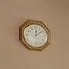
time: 12:09
